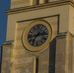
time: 2:36
